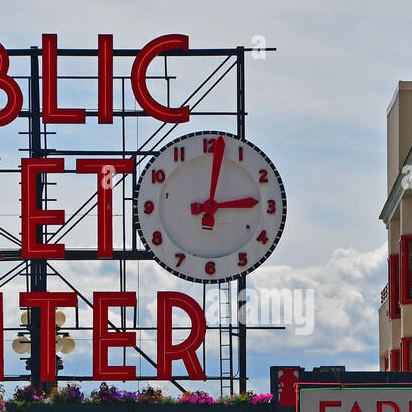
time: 3:01
